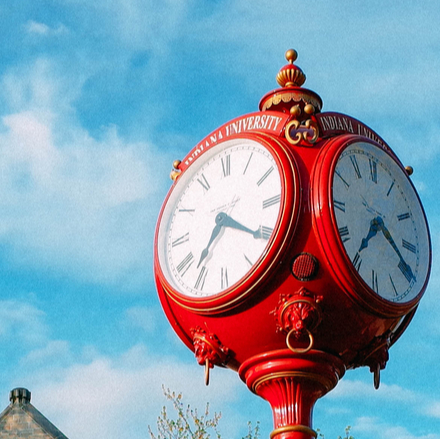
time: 7:20
